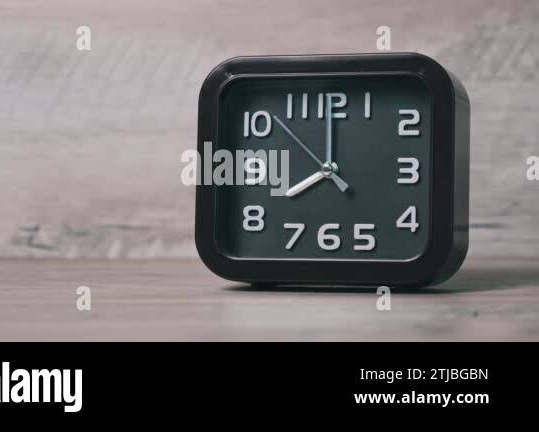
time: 8:00
